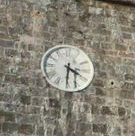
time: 3:30
